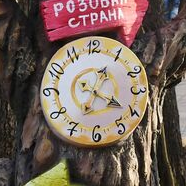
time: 4:04
